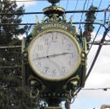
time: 2:43
